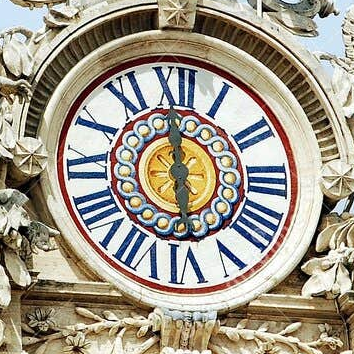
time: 5:59
